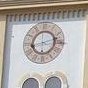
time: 8:12
